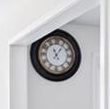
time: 11:06
